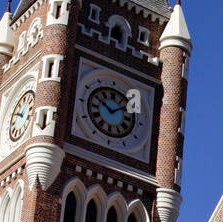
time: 10:07
